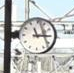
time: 11:14
